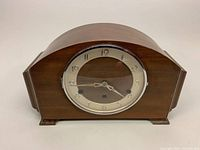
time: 4:44
